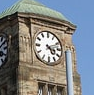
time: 4:12
